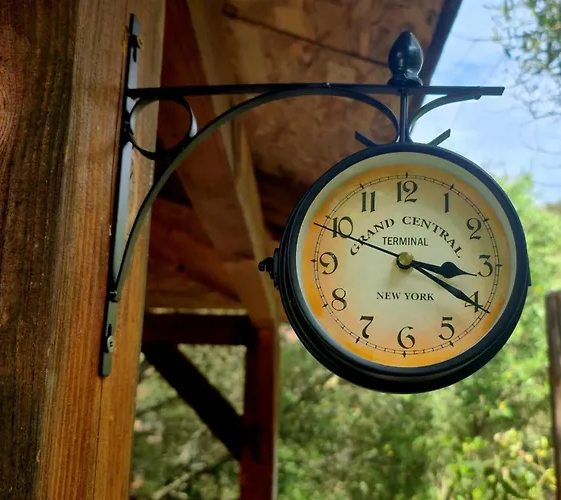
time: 3:20
